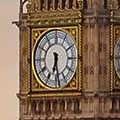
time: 6:28
